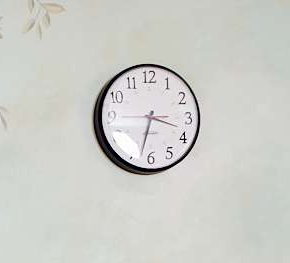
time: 3:32
